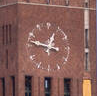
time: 12:47
